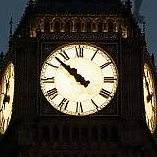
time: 10:52
